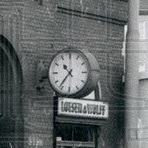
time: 10:36
